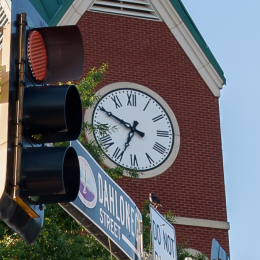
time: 6:49
